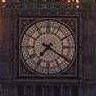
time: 7:20
